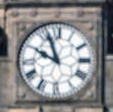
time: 9:56
